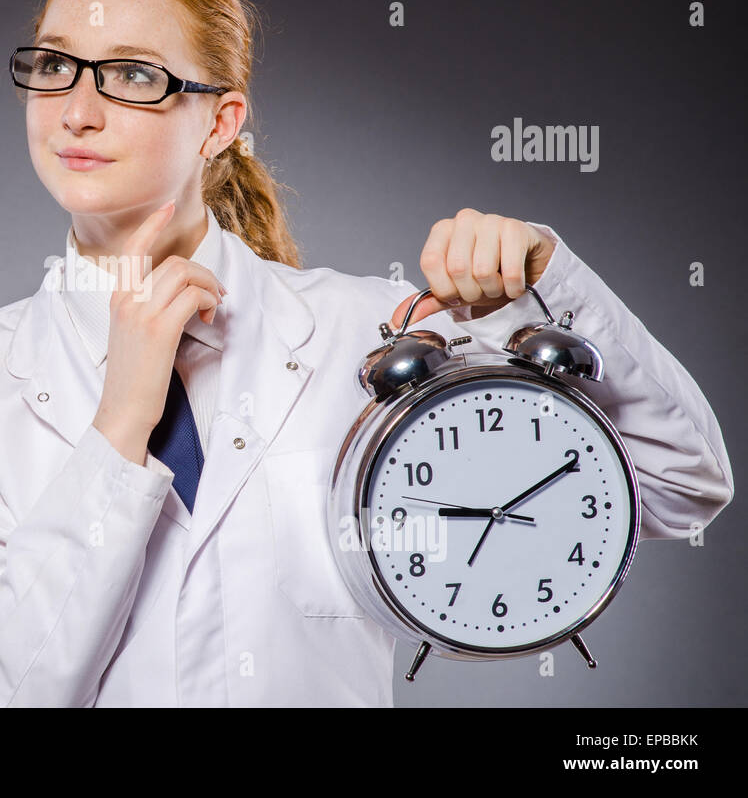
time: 9:10
